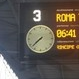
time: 7:37
